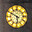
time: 5:49
